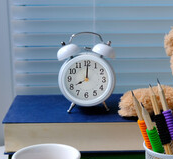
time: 8:00
